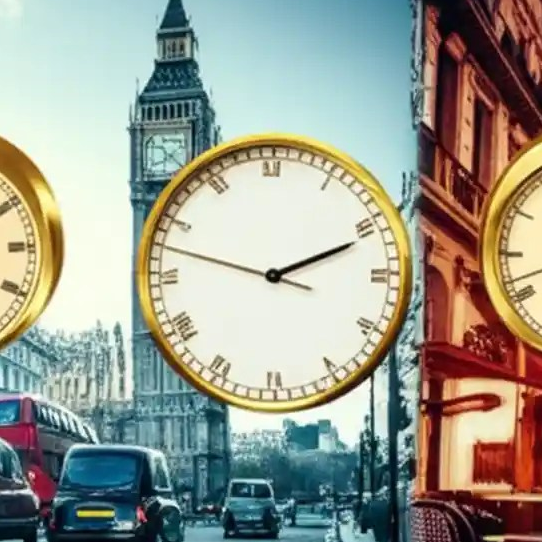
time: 2:11
